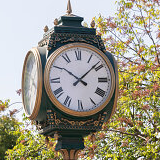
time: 10:08
